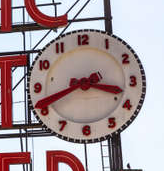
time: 3:41
